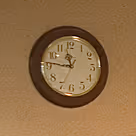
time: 11:46
